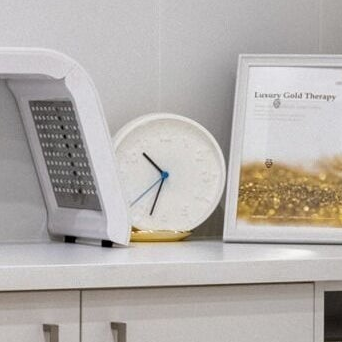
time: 10:33
